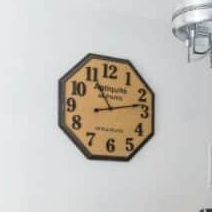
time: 11:12
